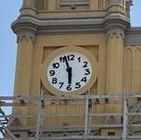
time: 5:57
